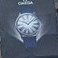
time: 10:07
